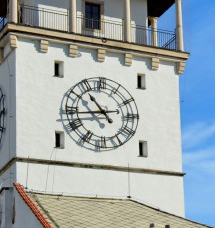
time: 10:43
